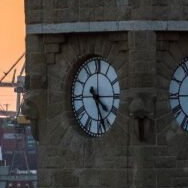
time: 4:26
